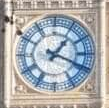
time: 1:18
